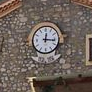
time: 12:16
